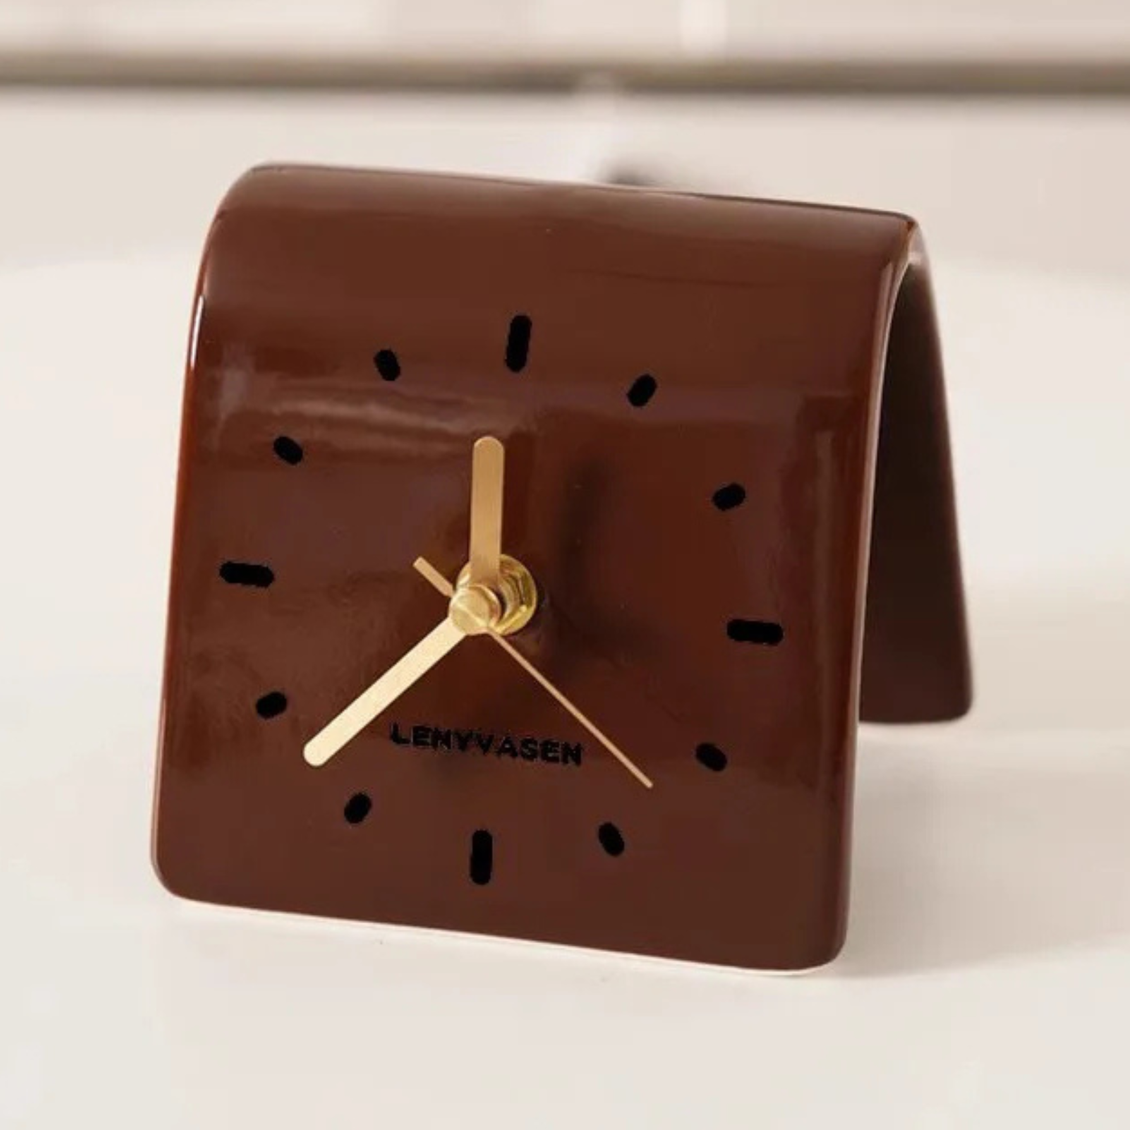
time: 11:37
